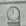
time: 11:37
